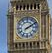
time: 2:09
